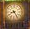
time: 8:24
